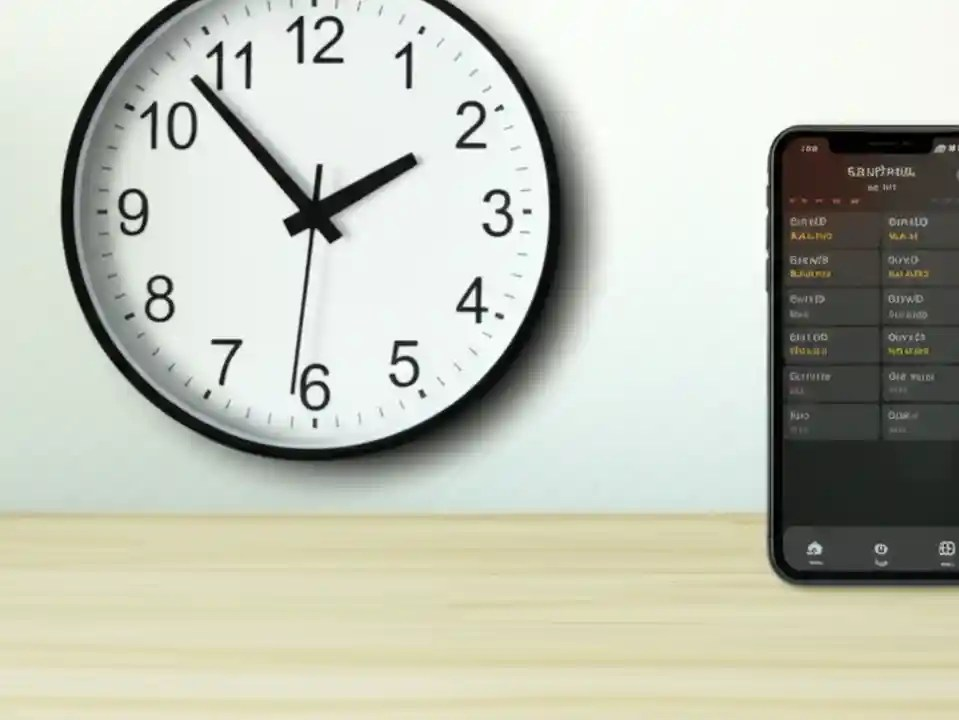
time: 1:53
